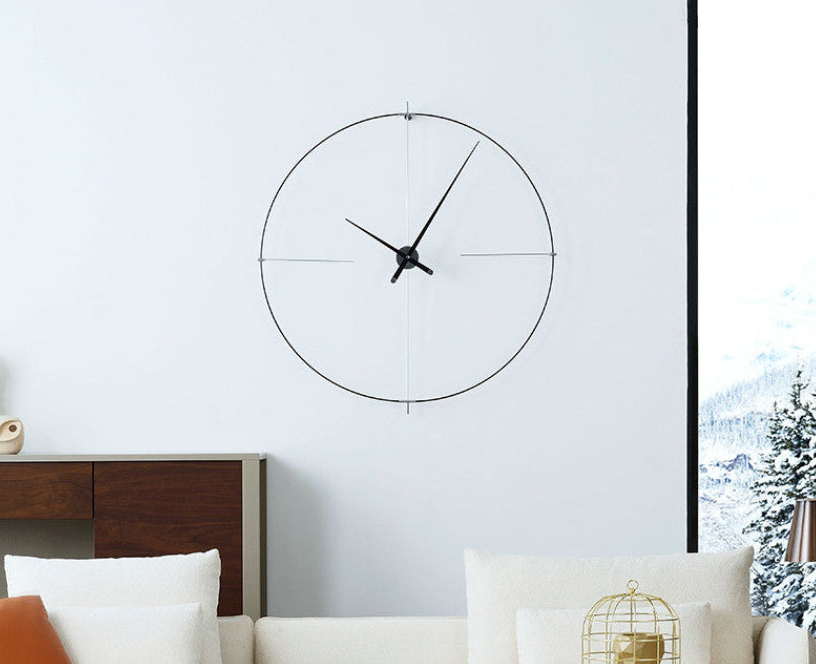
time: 10:04
